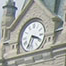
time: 3:34
